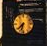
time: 7:32
